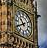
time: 10:40
